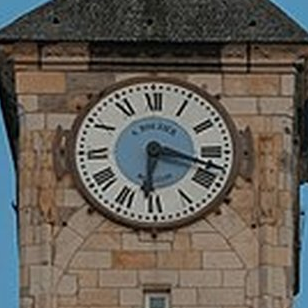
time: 6:18
